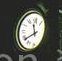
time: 11:39
